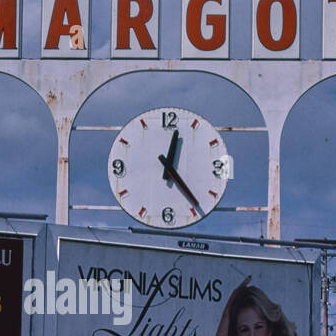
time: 12:23
